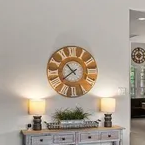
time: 10:39
